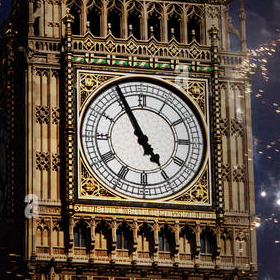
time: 4:55
